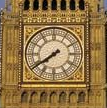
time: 7:39
